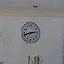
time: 2:42
